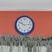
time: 10:13
